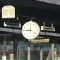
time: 8:59
